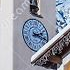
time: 2:18
